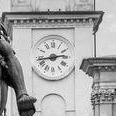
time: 2:43
